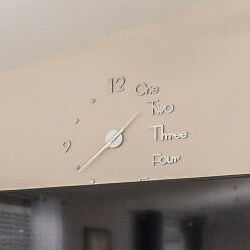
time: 1:39
